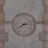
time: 2:38
